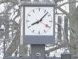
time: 8:07
